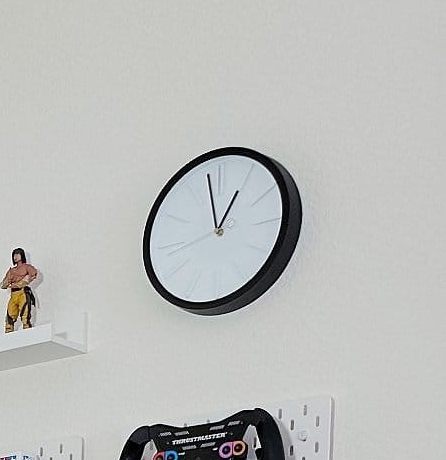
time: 12:57
